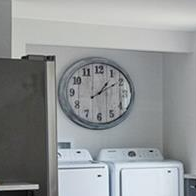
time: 1:09
